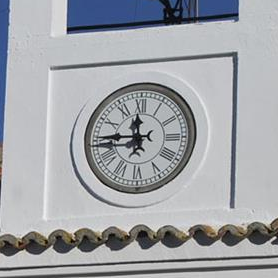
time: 11:45
